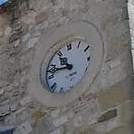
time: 10:47
